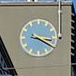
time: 3:20
